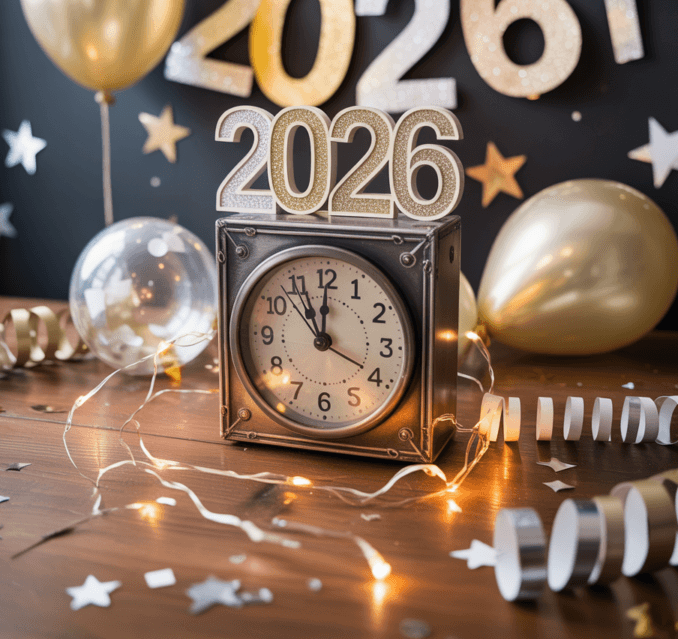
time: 11:00
